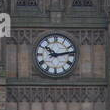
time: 10:13
